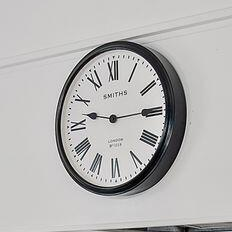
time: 9:14
